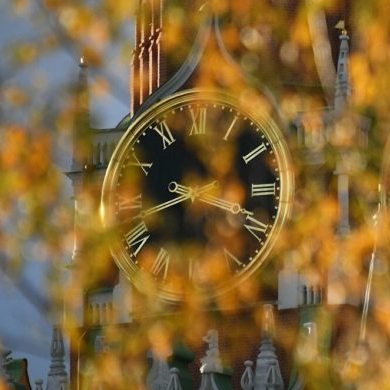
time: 8:17
